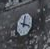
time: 12:18
